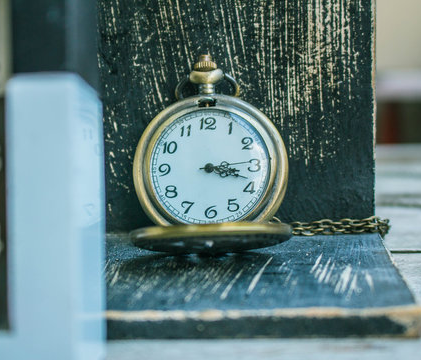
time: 3:18
